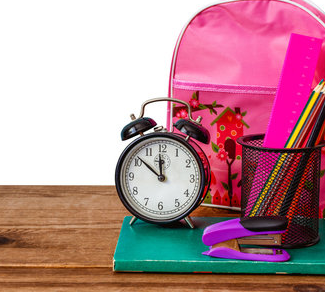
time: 11:51
